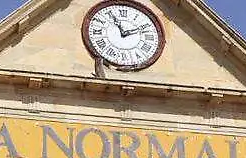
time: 11:10
